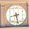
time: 8:27
